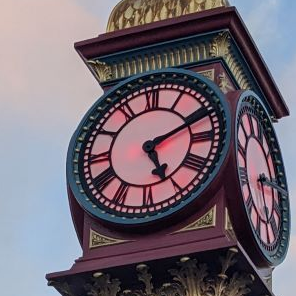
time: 5:11
